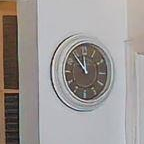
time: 11:53
